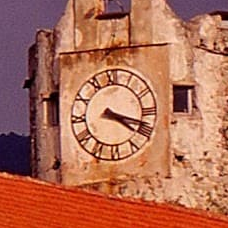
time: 4:18
